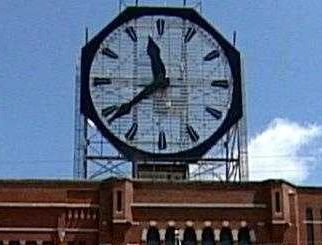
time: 11:38
